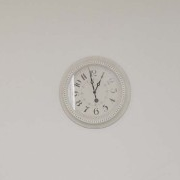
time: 12:58
